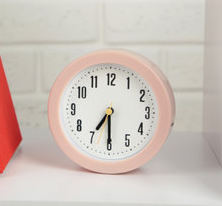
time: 6:29
